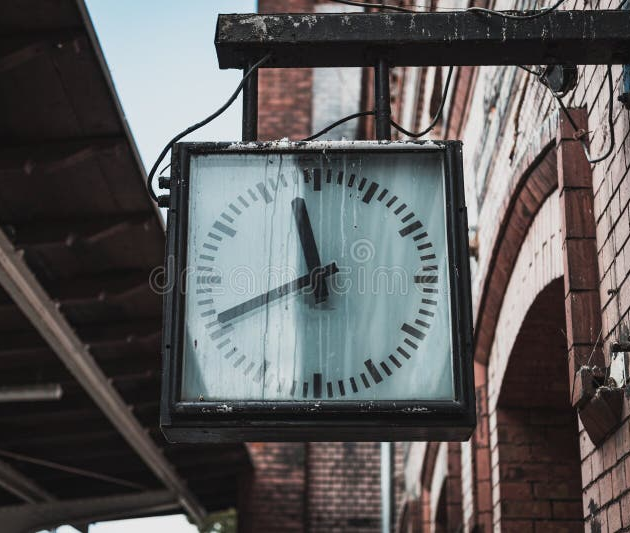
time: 11:41
